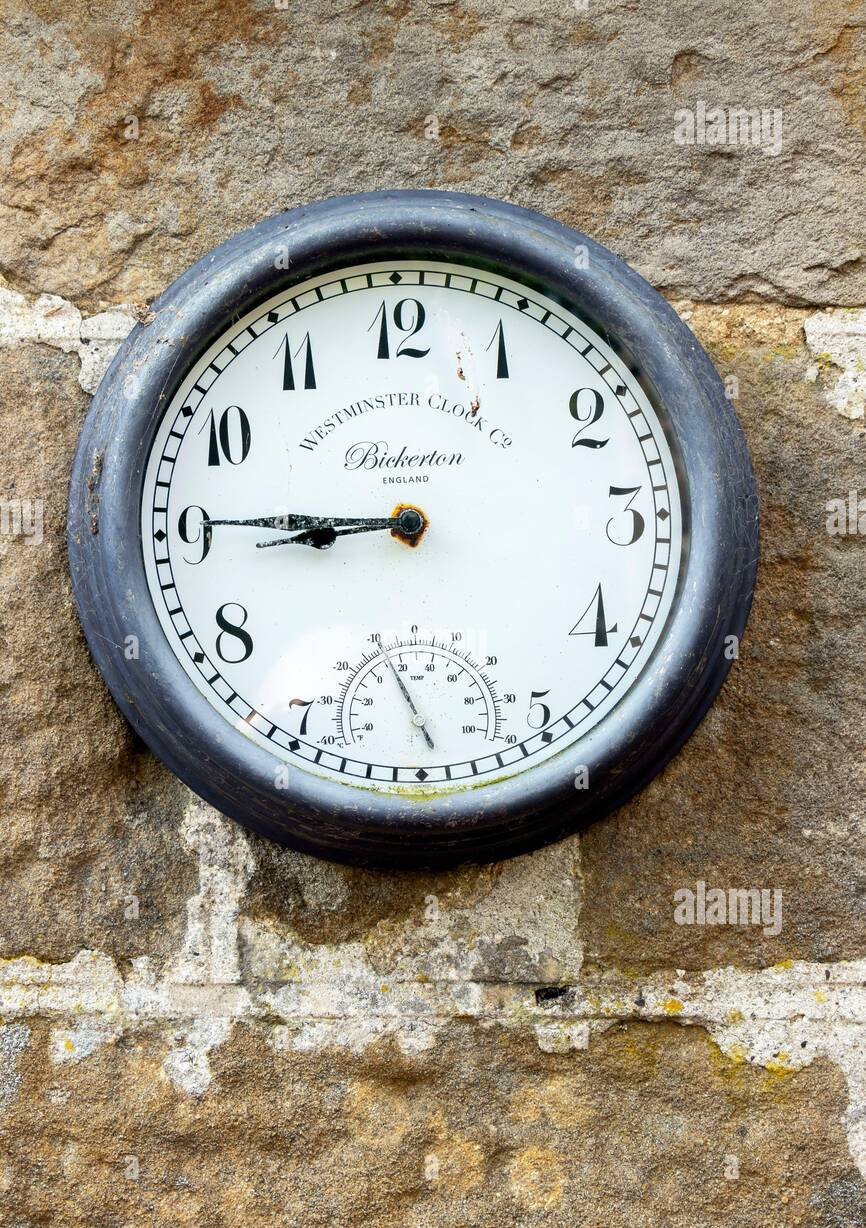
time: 8:45
